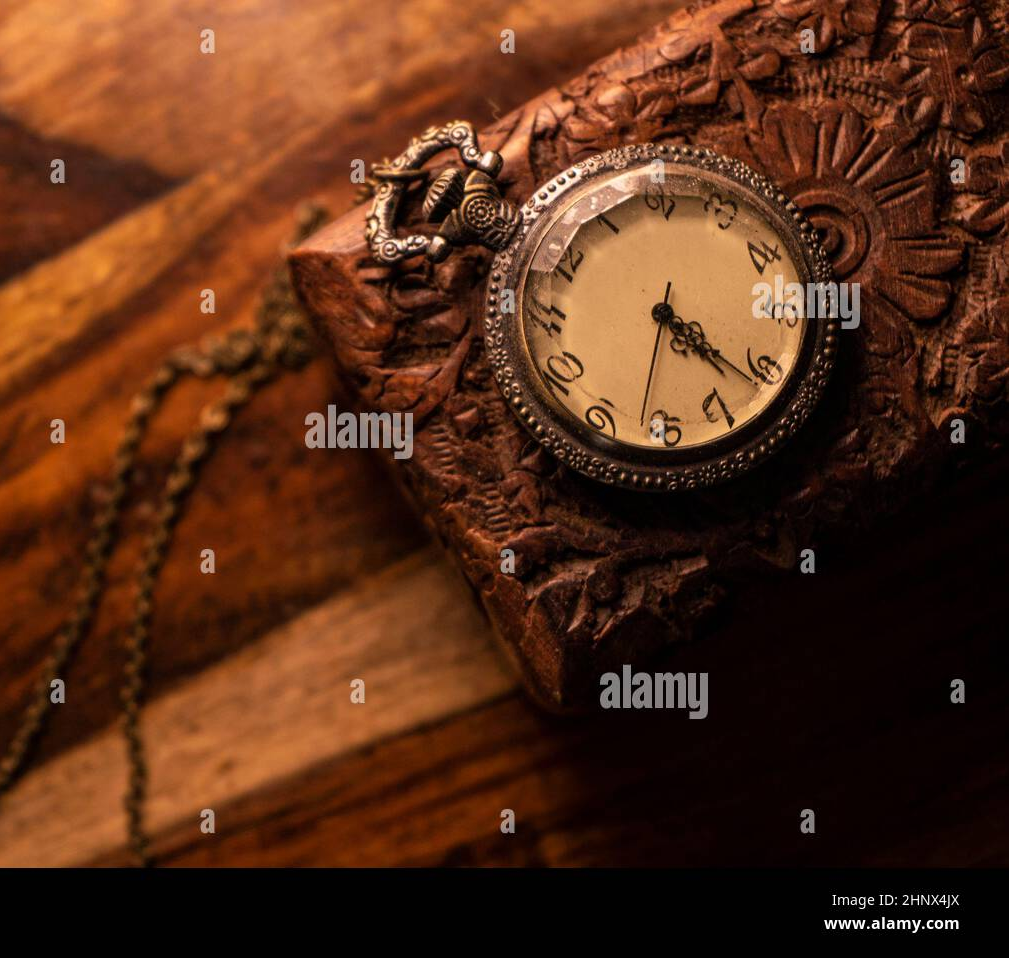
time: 4:21
